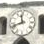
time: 11:41
